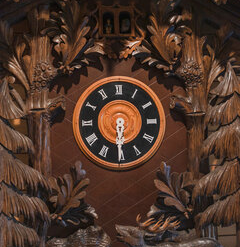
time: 5:30
